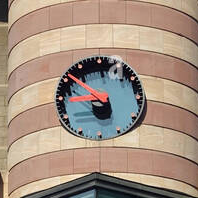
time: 8:52
